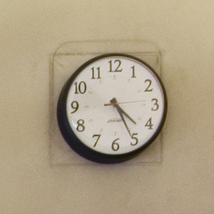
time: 4:25
